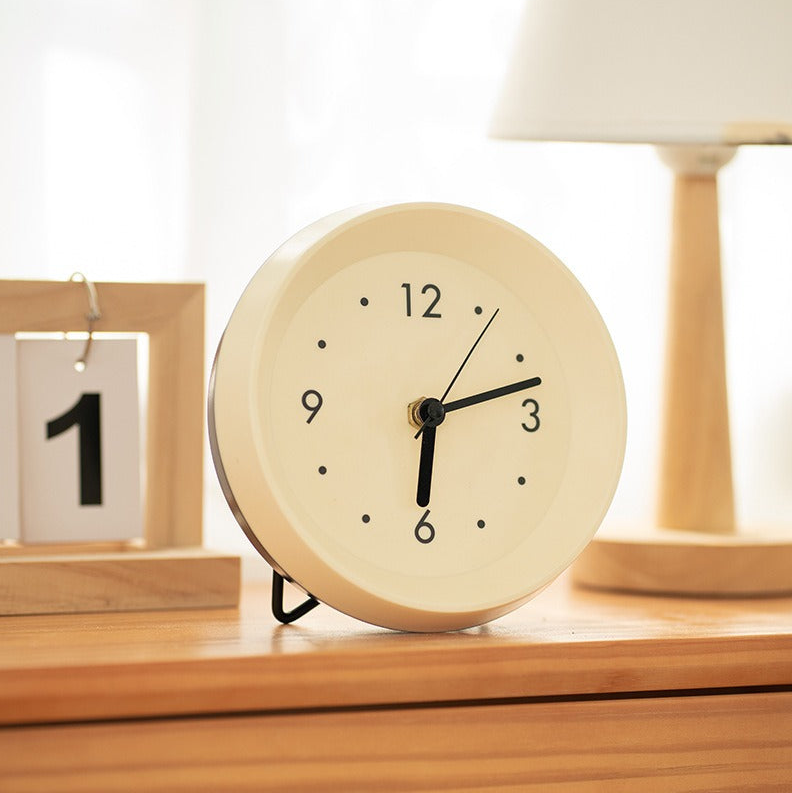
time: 6:12
